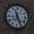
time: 11:25
